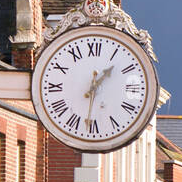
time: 1:31
